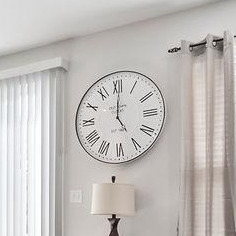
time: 5:00
